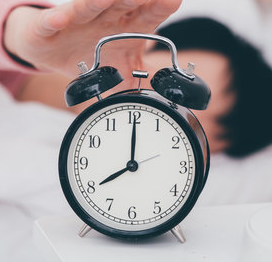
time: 8:00
